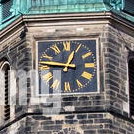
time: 12:46
